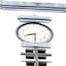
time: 8:29
